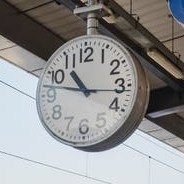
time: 10:47
